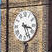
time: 3:26
